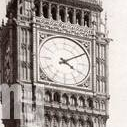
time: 4:09
